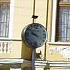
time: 9:51
